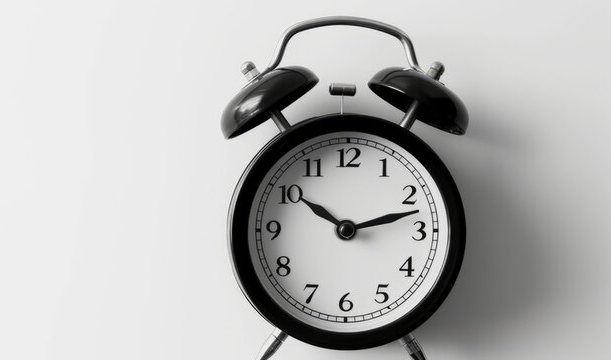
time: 10:12
